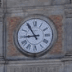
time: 8:54
